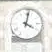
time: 4:02
